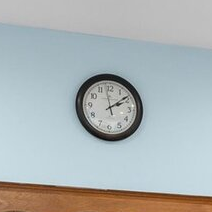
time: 2:09
